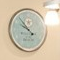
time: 9:53
